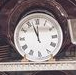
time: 11:56
